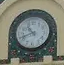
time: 10:41
